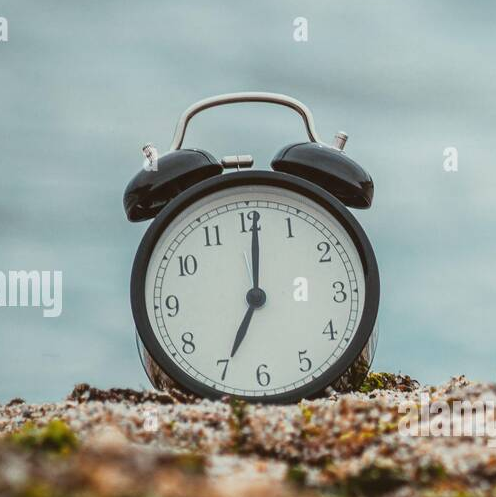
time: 7:00
